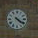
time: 4:21
